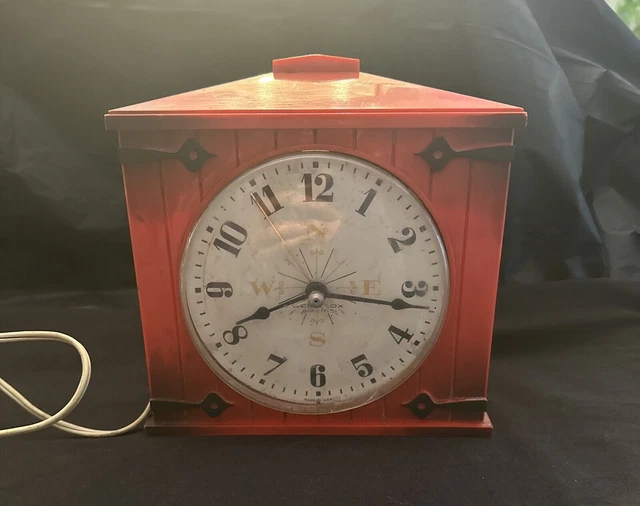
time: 8:16
